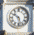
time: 10:28
